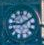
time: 9:10
